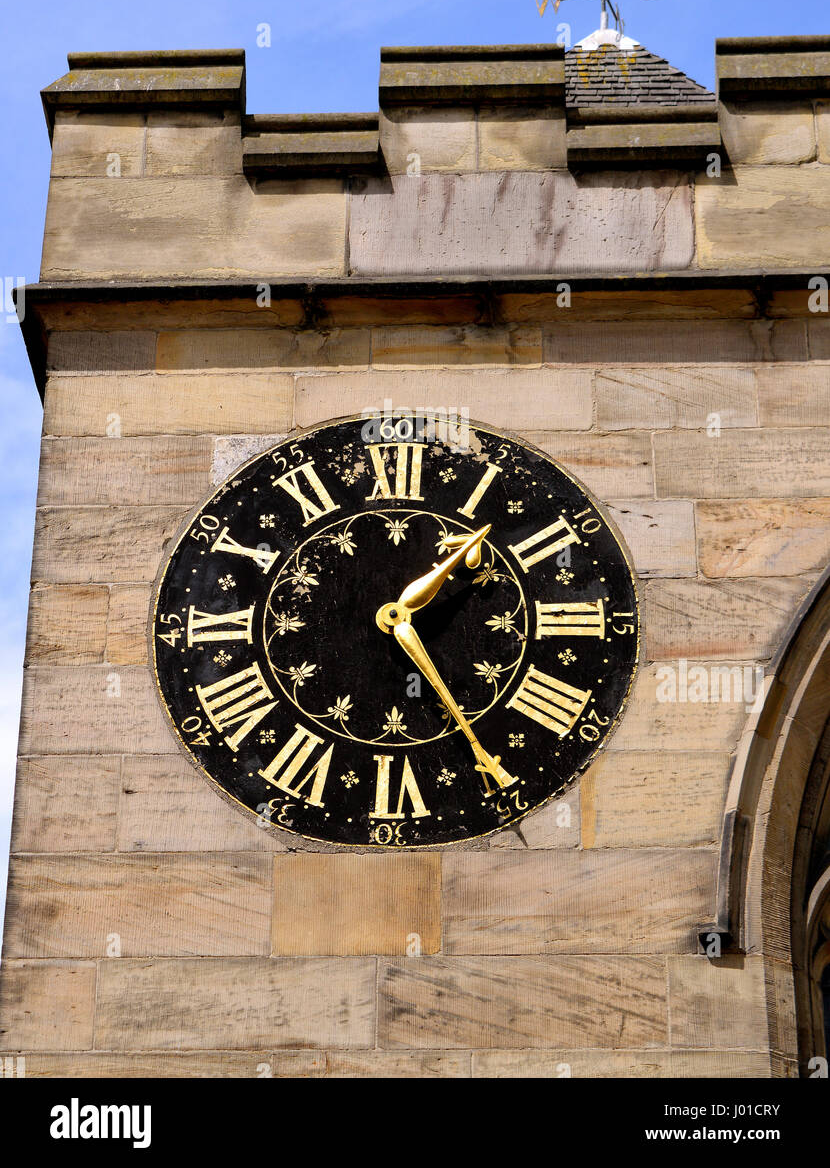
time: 1:24
